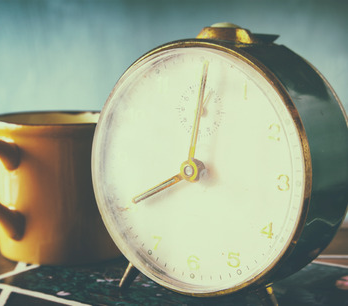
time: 8:00
